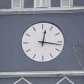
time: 12:16
